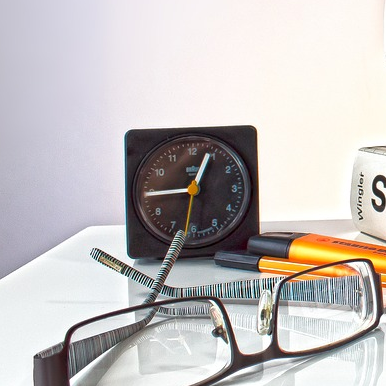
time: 12:44
